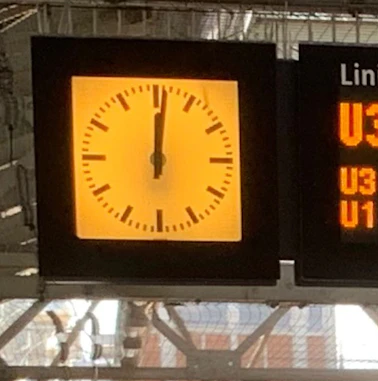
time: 12:01
